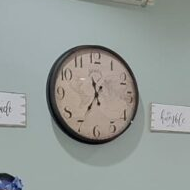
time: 11:35
